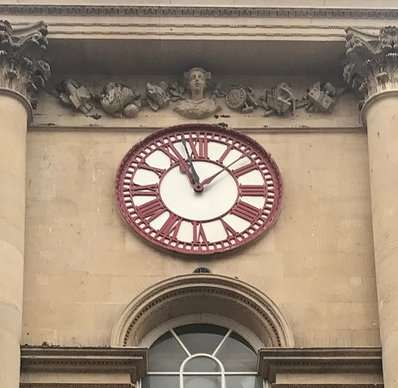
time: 11:07
